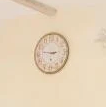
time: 2:46
